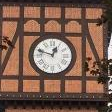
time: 12:48
